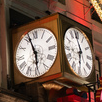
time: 5:57
